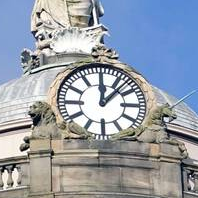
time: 12:07
